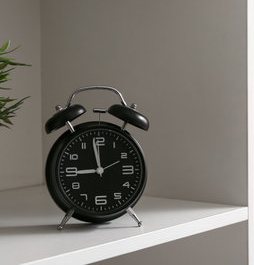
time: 11:44
